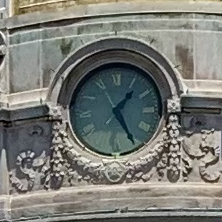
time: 1:25
